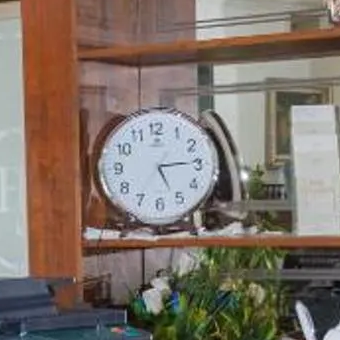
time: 5:14
